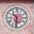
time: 10:31
